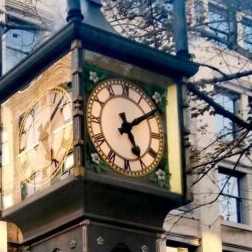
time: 5:09
